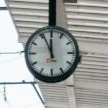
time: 11:55
